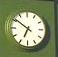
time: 6:50
